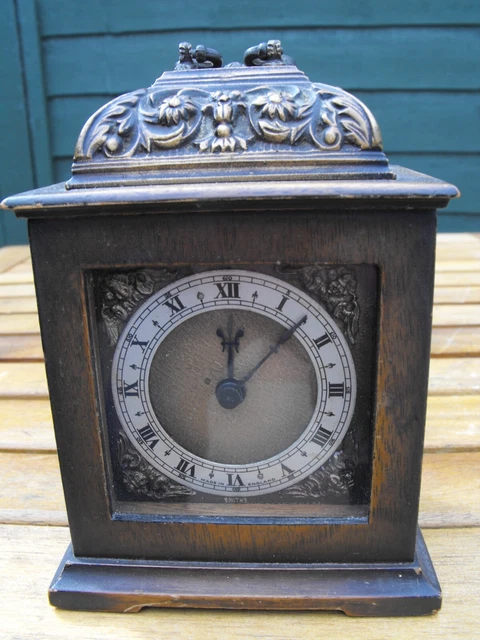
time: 12:07
